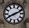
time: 8:11
